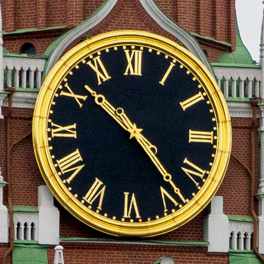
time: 10:23
